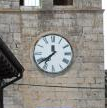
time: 11:38
